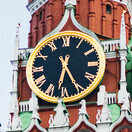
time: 6:25
